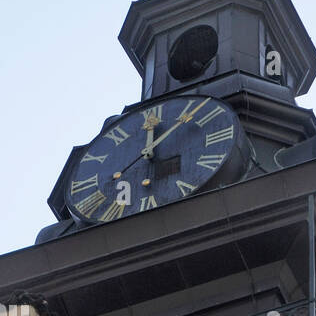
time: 12:07
